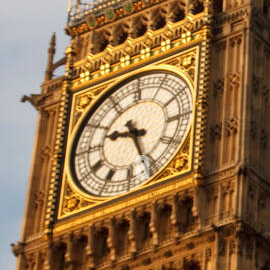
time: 9:26
